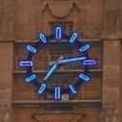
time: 7:13
